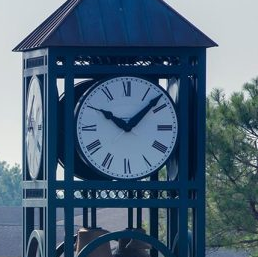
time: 10:07
